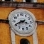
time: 3:40
